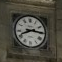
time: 8:15
